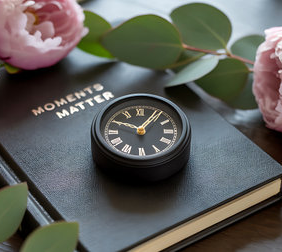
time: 10:06
